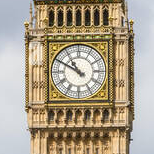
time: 10:49
